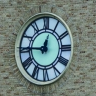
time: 12:45
